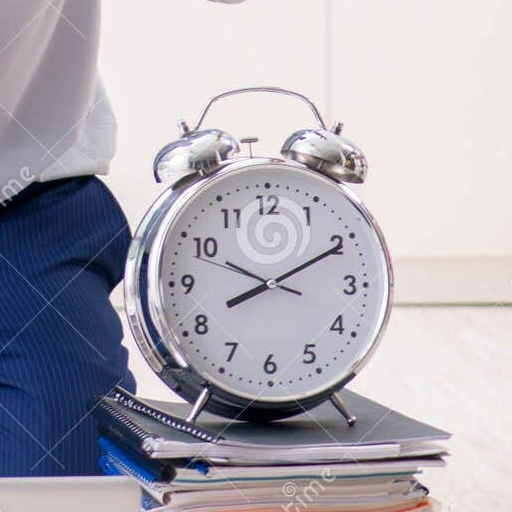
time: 8:10
